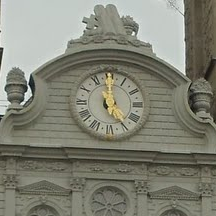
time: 4:59
